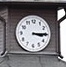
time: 3:14
